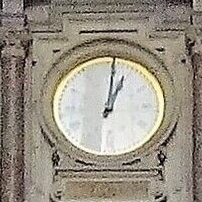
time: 1:01
